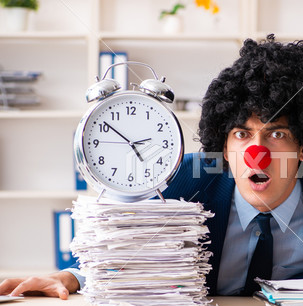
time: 4:51
